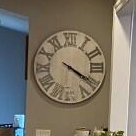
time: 4:20
